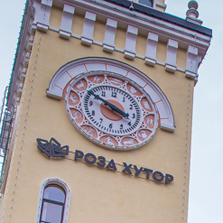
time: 3:50
